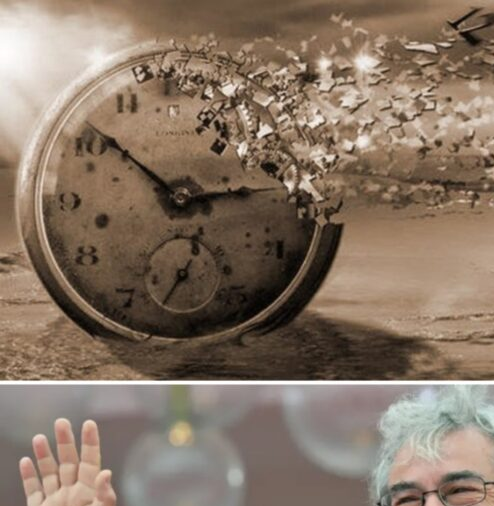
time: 2:51
